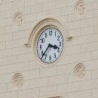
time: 3:37
